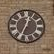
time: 12:34
